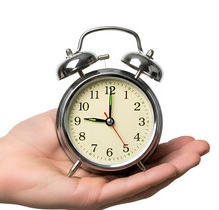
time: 9:00
